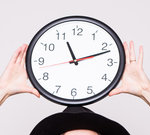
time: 11:11
